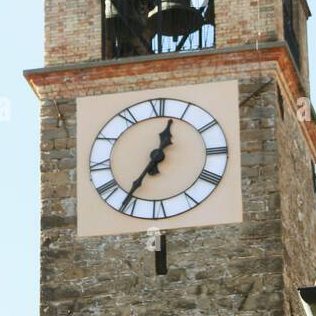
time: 12:36
